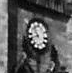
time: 10:41
